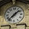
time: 1:36
